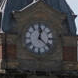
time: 12:21
